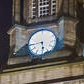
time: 5:44
